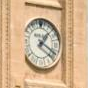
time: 1:20
